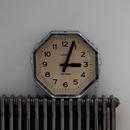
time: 3:03
